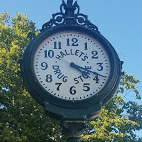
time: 4:18
